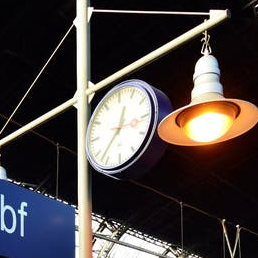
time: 12:37
